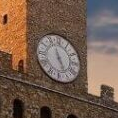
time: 4:57
